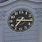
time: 7:15
